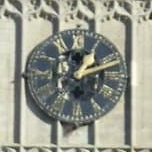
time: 1:12
